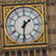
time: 1:30
